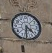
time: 4:31
